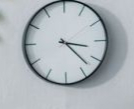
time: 3:22
